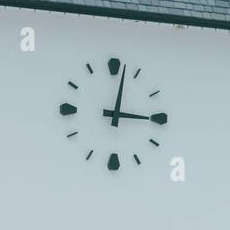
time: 3:02
